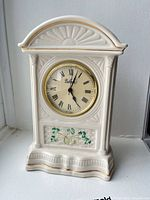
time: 5:03
